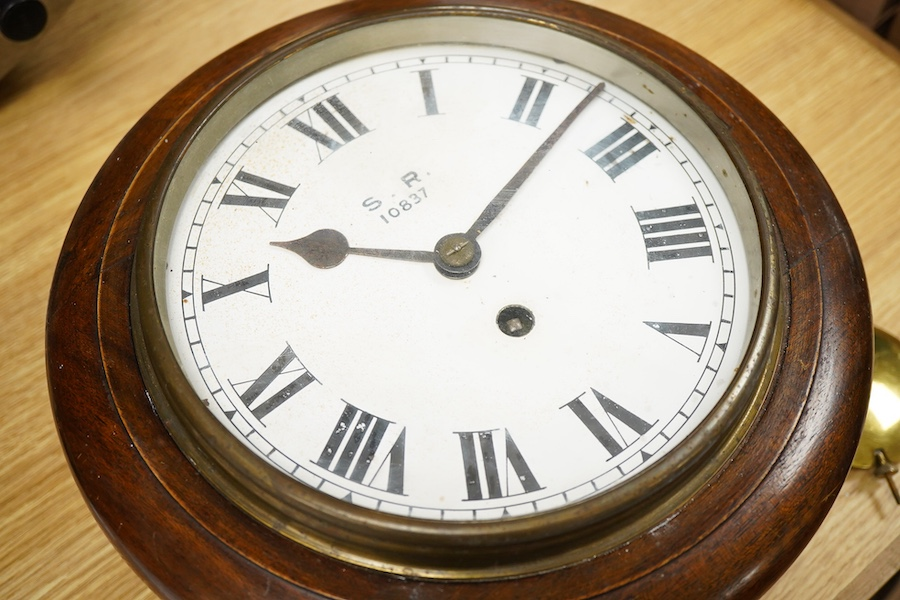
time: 9:07
